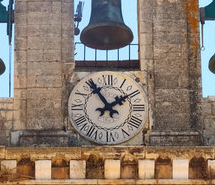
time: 1:54
